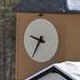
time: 9:36
